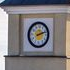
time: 2:11
